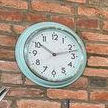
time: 10:12
